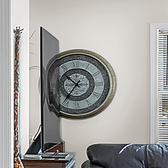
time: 10:36
